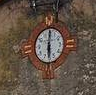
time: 6:00
